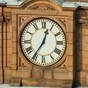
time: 12:35
